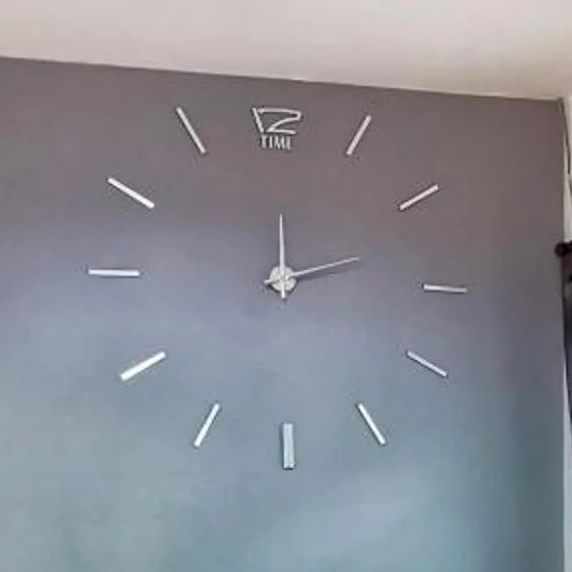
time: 12:12
